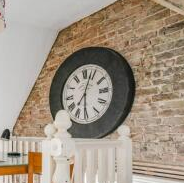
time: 6:03
